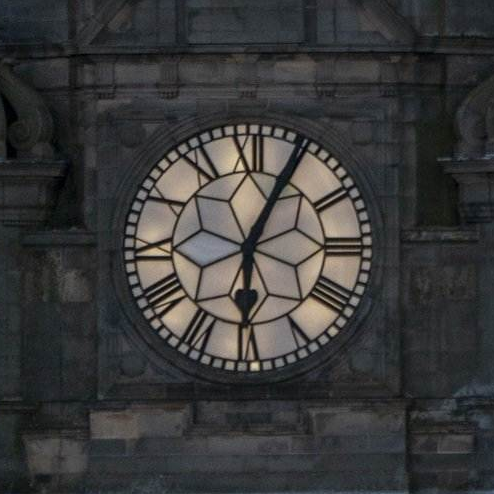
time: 6:04
